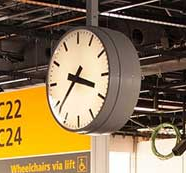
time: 3:38
